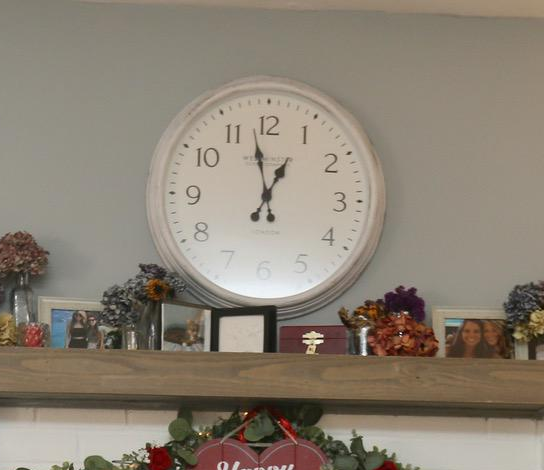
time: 12:57
